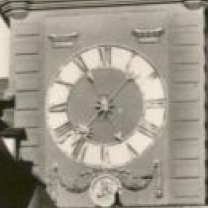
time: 1:36
